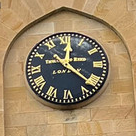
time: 12:21
